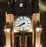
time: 7:40
